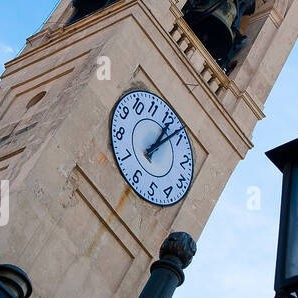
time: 1:08
